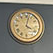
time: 4:02
